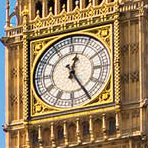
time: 12:24
